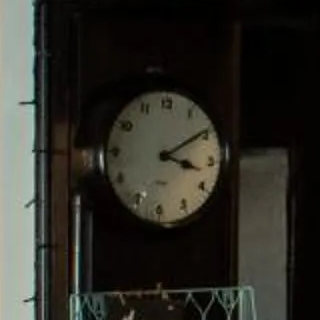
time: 3:09
